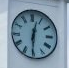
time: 12:30
